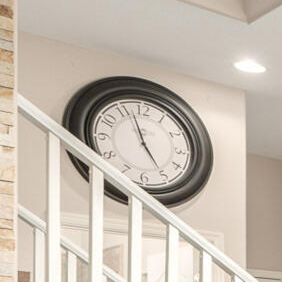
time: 4:57
